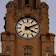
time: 4:10
